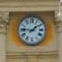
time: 1:46
